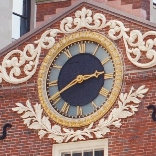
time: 2:40
